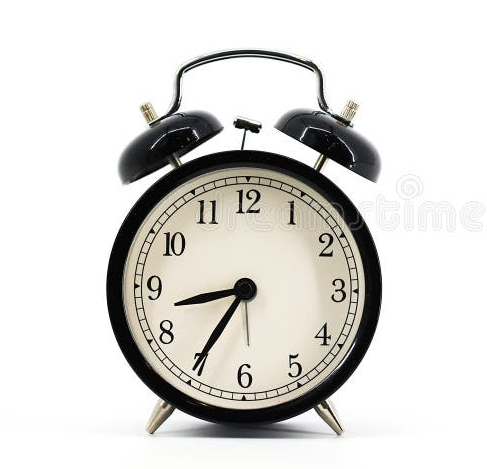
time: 8:35
